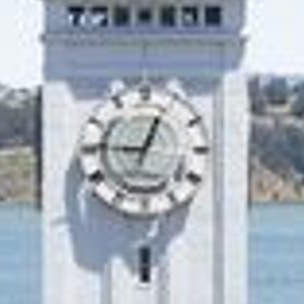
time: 12:46
